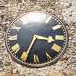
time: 3:34
